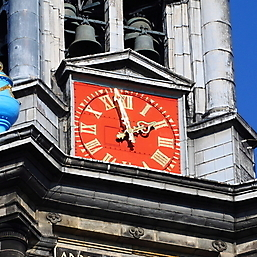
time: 1:57
